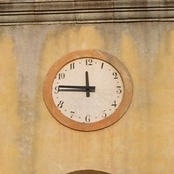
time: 11:46
